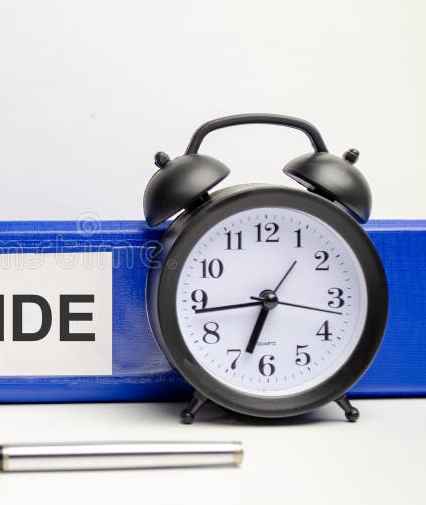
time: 6:43
